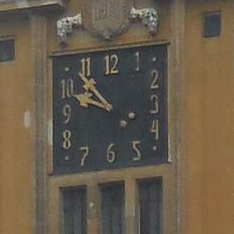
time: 9:53
